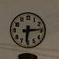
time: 6:14
